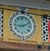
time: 9:11
